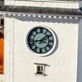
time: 1:42
